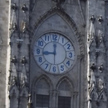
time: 9:01
